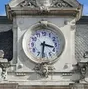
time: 3:31
